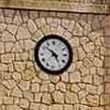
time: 4:51
